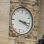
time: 3:18
